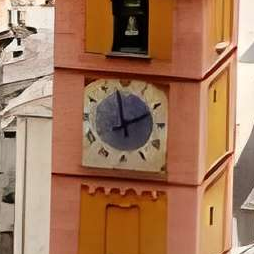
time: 1:58
